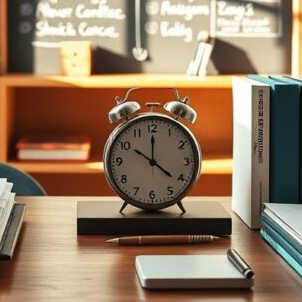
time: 10:00
